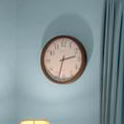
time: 2:33
